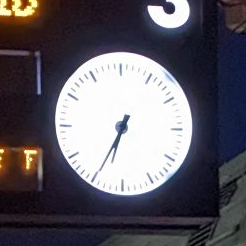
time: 6:34
